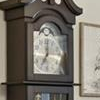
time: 7:00
